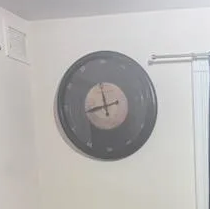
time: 11:42
